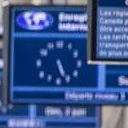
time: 5:26
